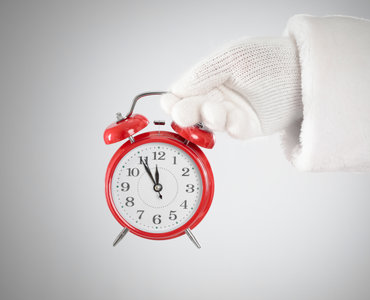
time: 11:54
